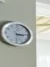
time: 3:14
